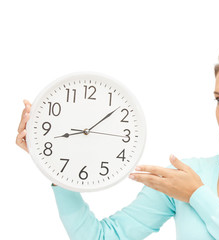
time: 1:42
